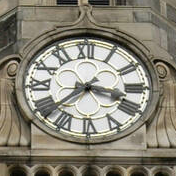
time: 3:38
